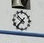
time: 10:36
